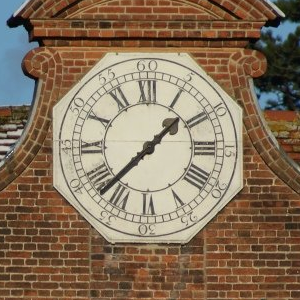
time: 1:37
